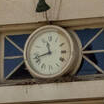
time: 11:42
